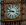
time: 8:49
